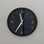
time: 11:35
